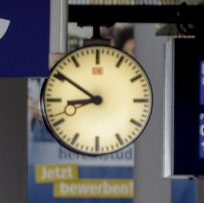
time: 8:50
